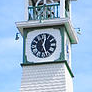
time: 12:26
